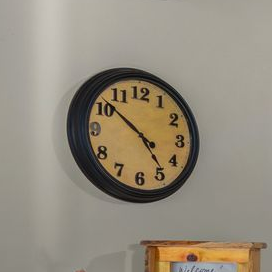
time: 4:51
